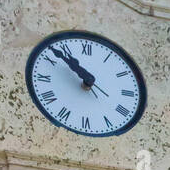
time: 10:52
